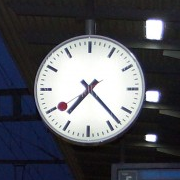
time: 7:23
